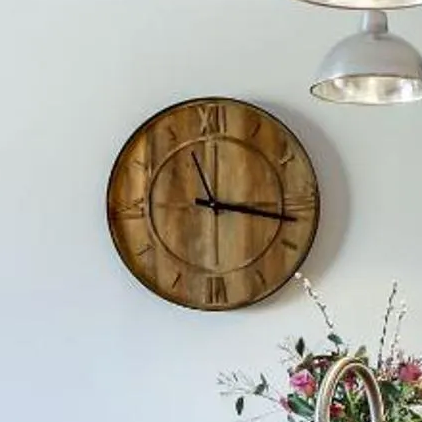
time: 11:17
